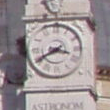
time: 3:40
